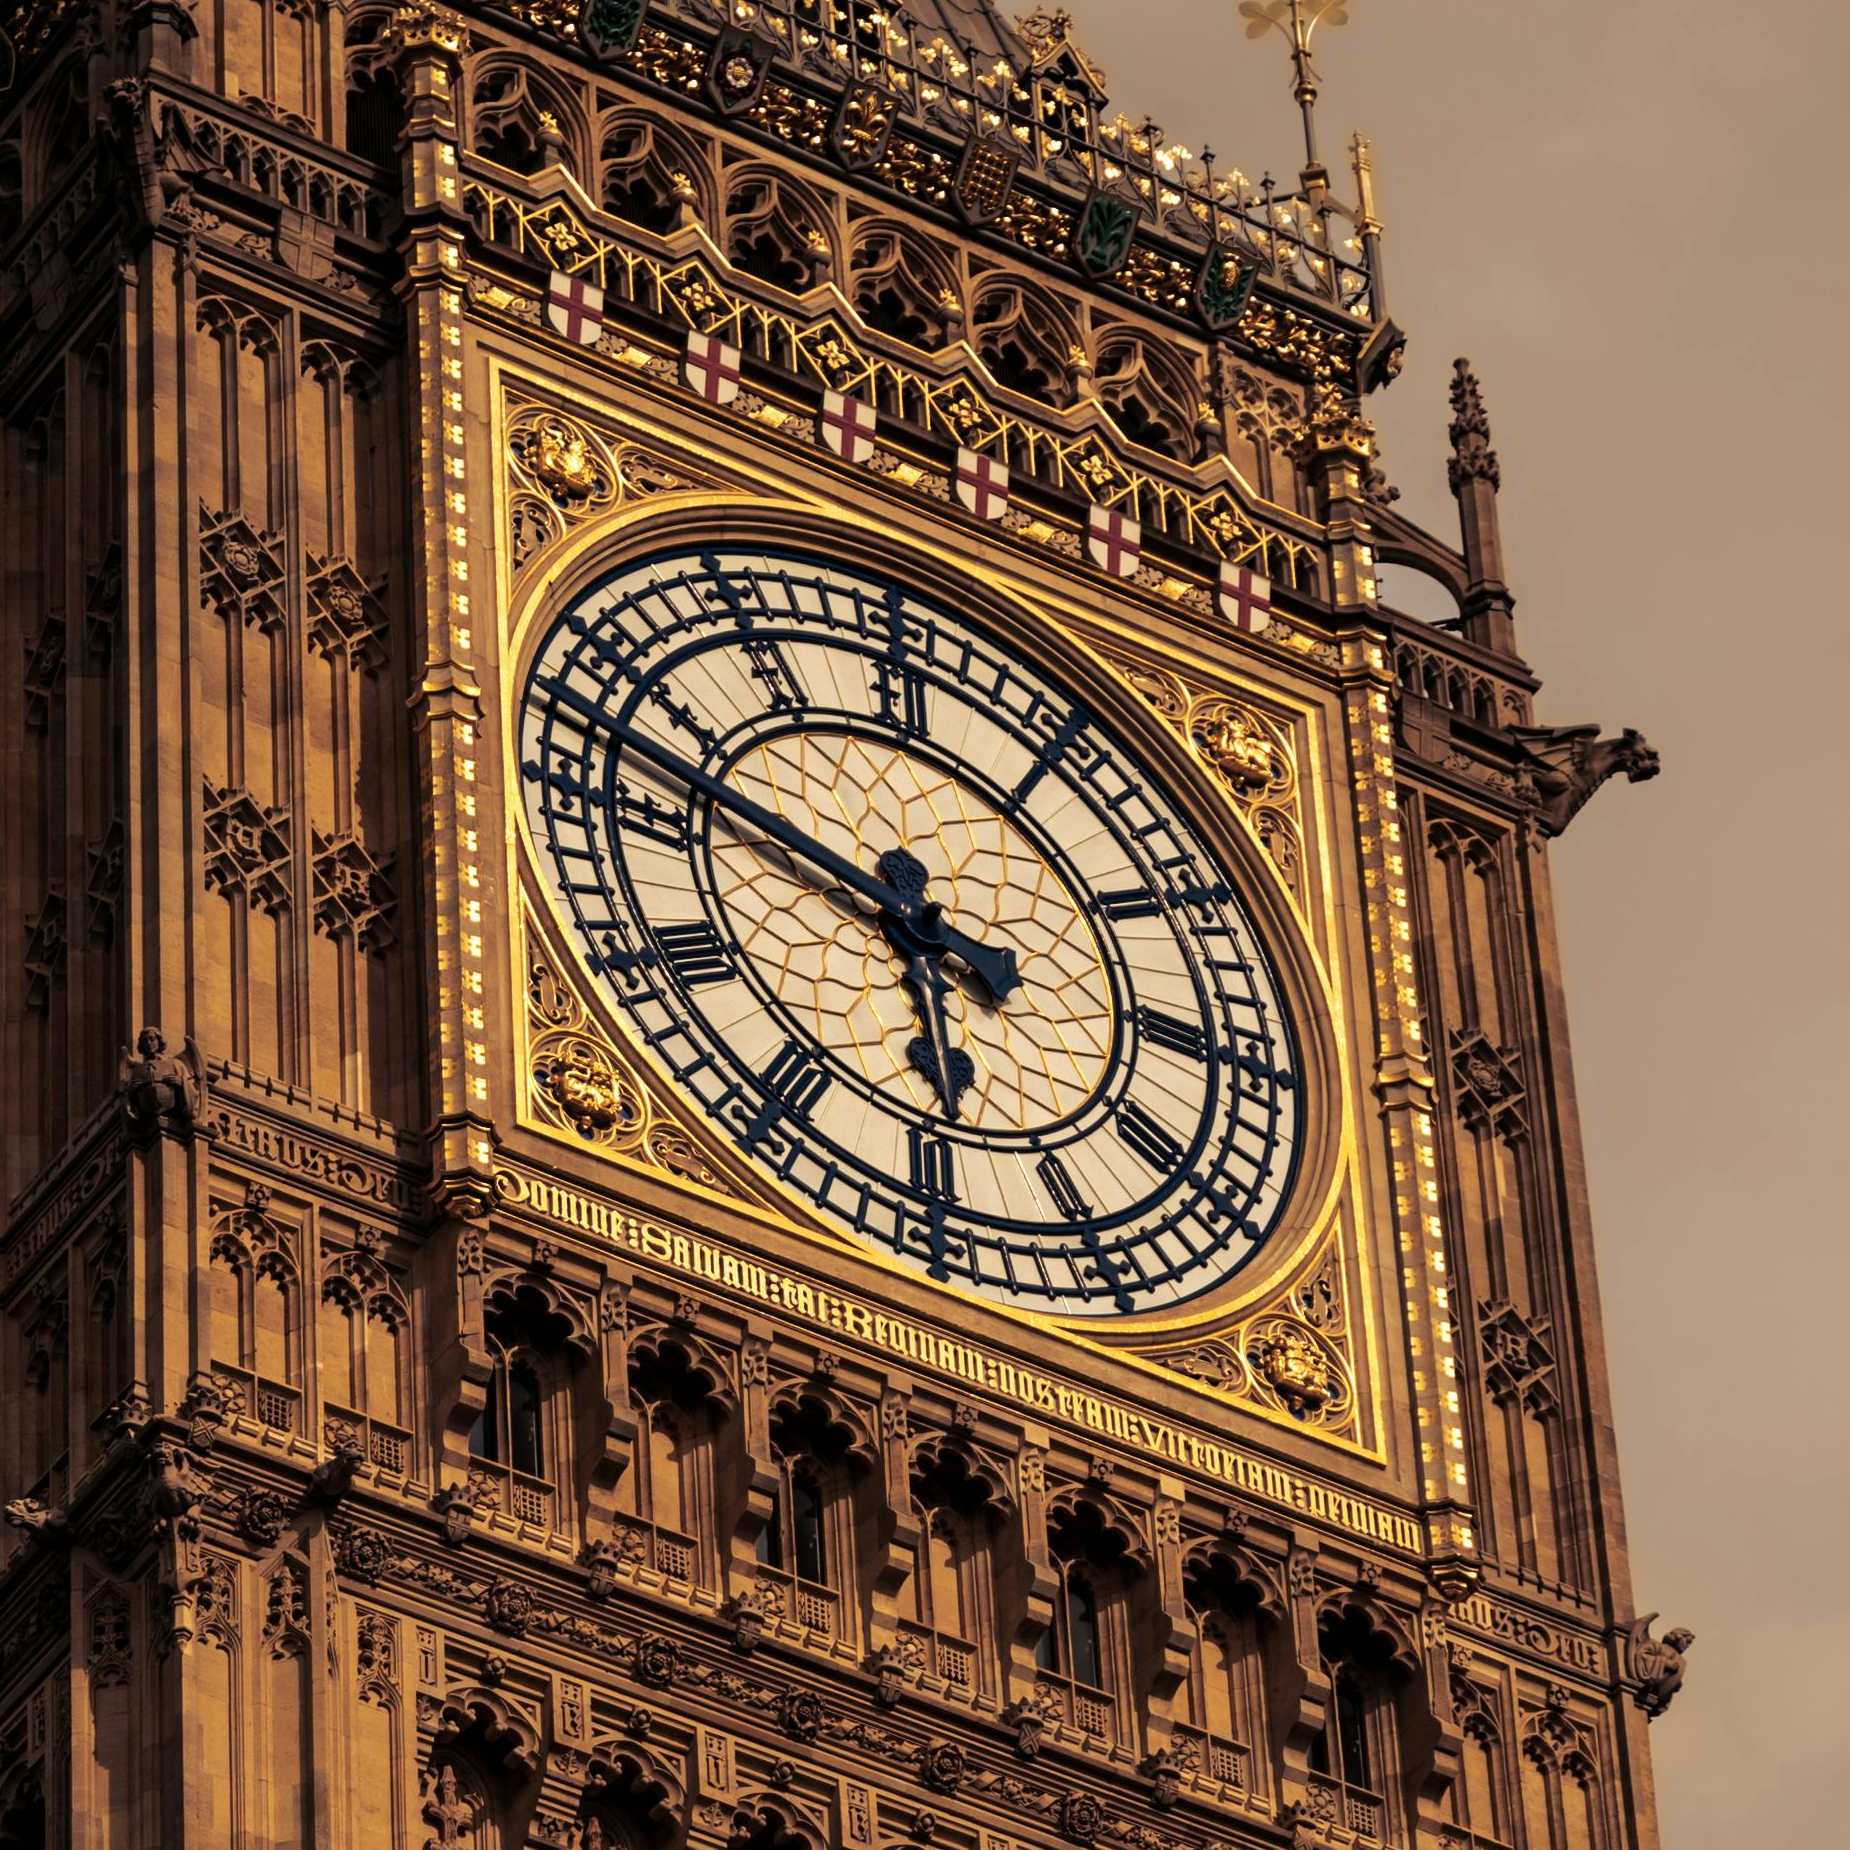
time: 5:47
